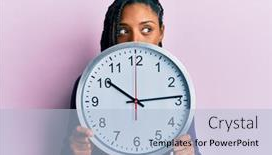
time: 10:13
